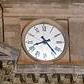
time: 8:23
